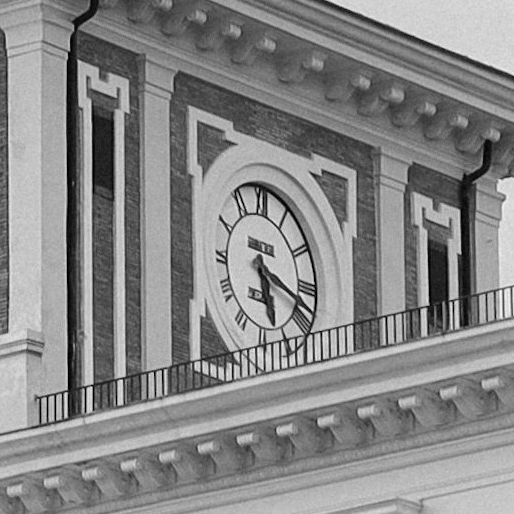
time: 5:18
